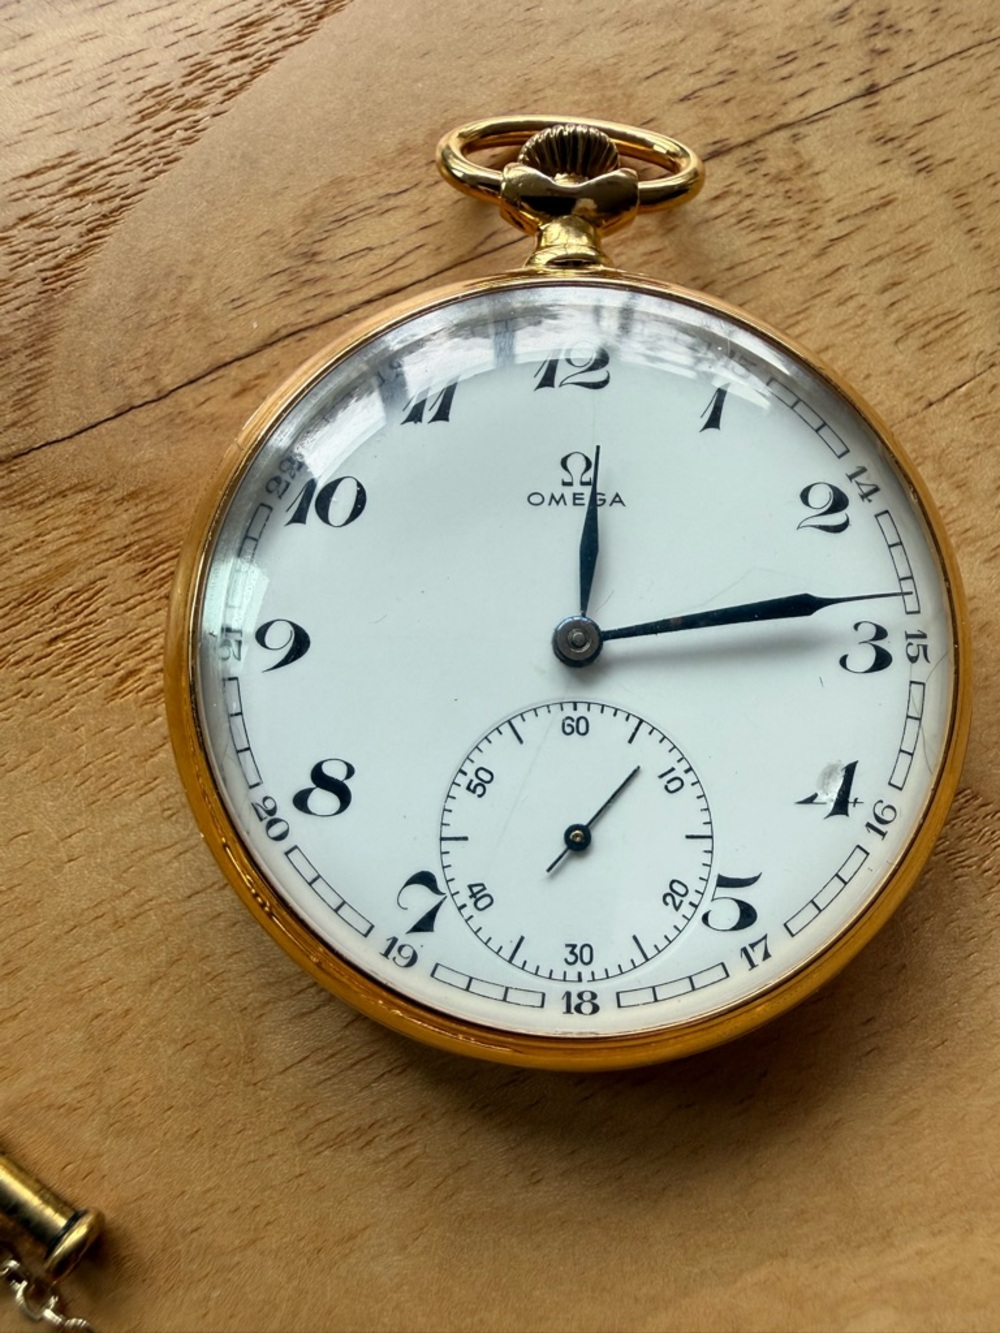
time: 12:13
